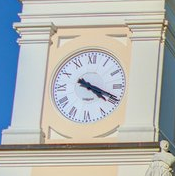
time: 4:18
